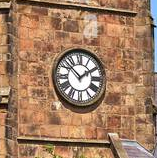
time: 1:52
